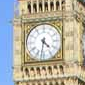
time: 4:31
